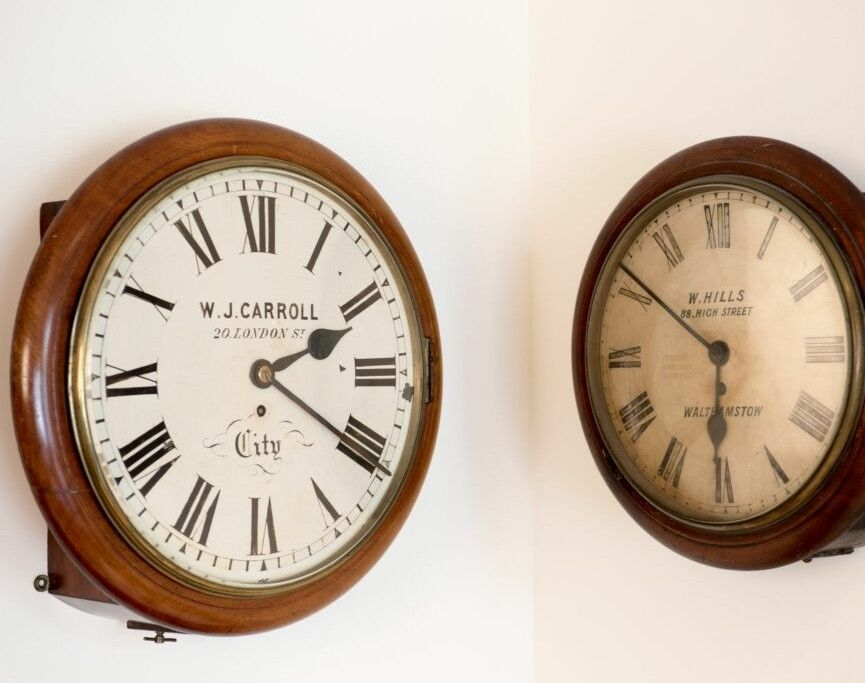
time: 2:20
